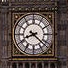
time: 8:21
